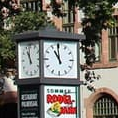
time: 10:59
